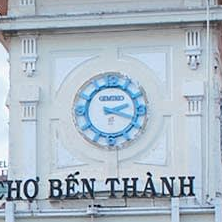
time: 2:18
